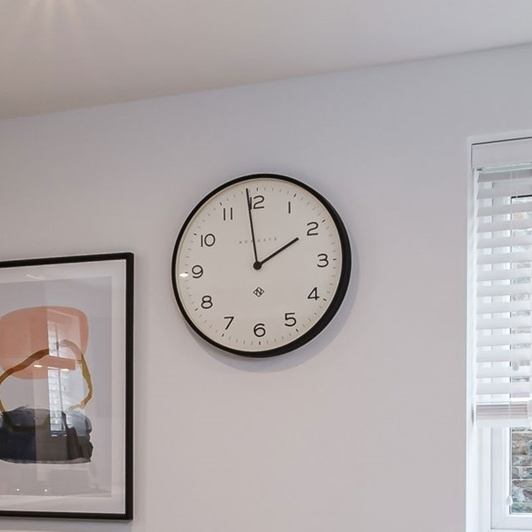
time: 1:58
